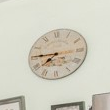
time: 7:45
